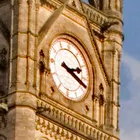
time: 2:18
